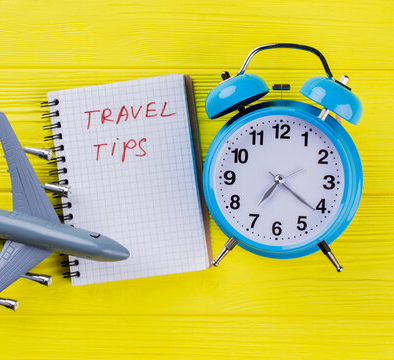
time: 7:21
